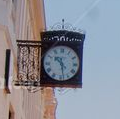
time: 10:28
